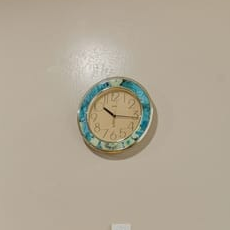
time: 10:16
